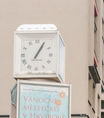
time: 1:05
